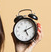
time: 5:11
